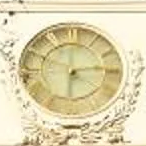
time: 6:13
